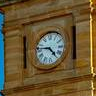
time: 4:46
